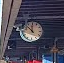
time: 11:52
